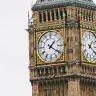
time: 1:20
